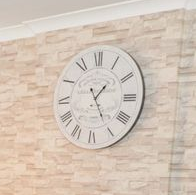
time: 1:25
